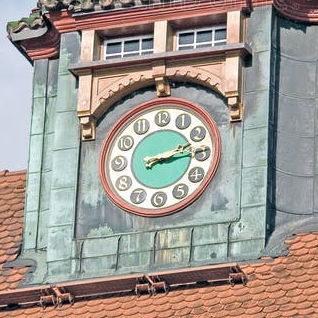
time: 2:13
